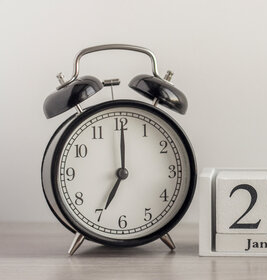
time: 7:00
